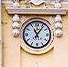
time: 11:06
